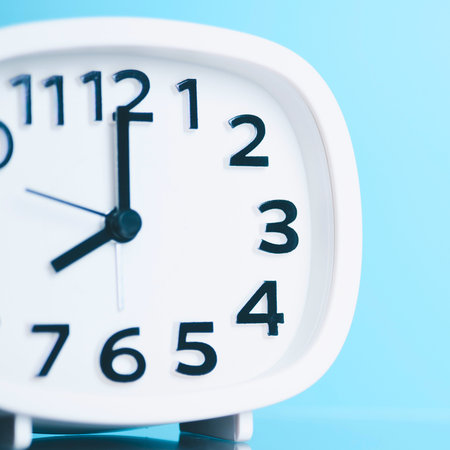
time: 8:00
